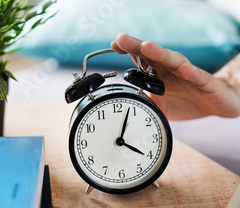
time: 4:03
